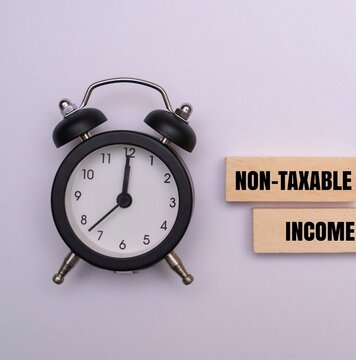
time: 12:00
